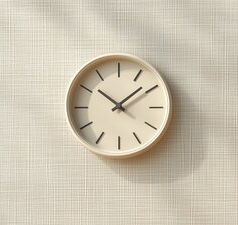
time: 1:51
